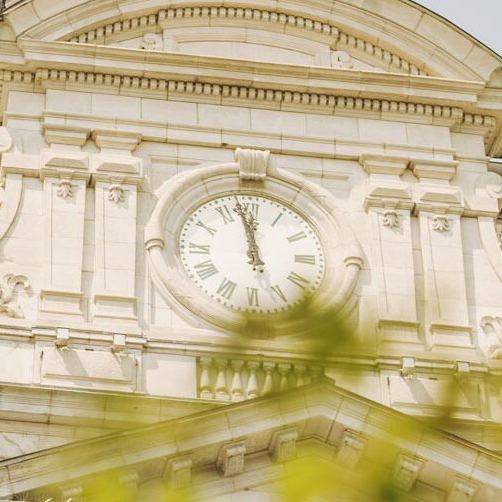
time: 11:58
